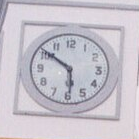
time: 5:51
